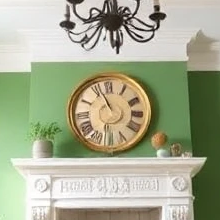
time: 10:56
